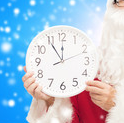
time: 11:54
